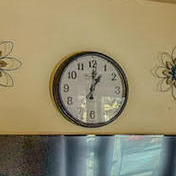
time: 1:00
